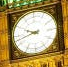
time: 9:42
